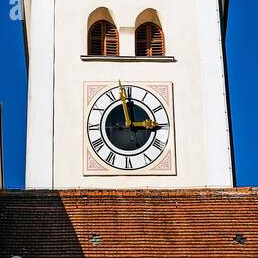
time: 2:58
